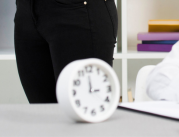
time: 2:59
